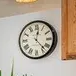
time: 12:22
